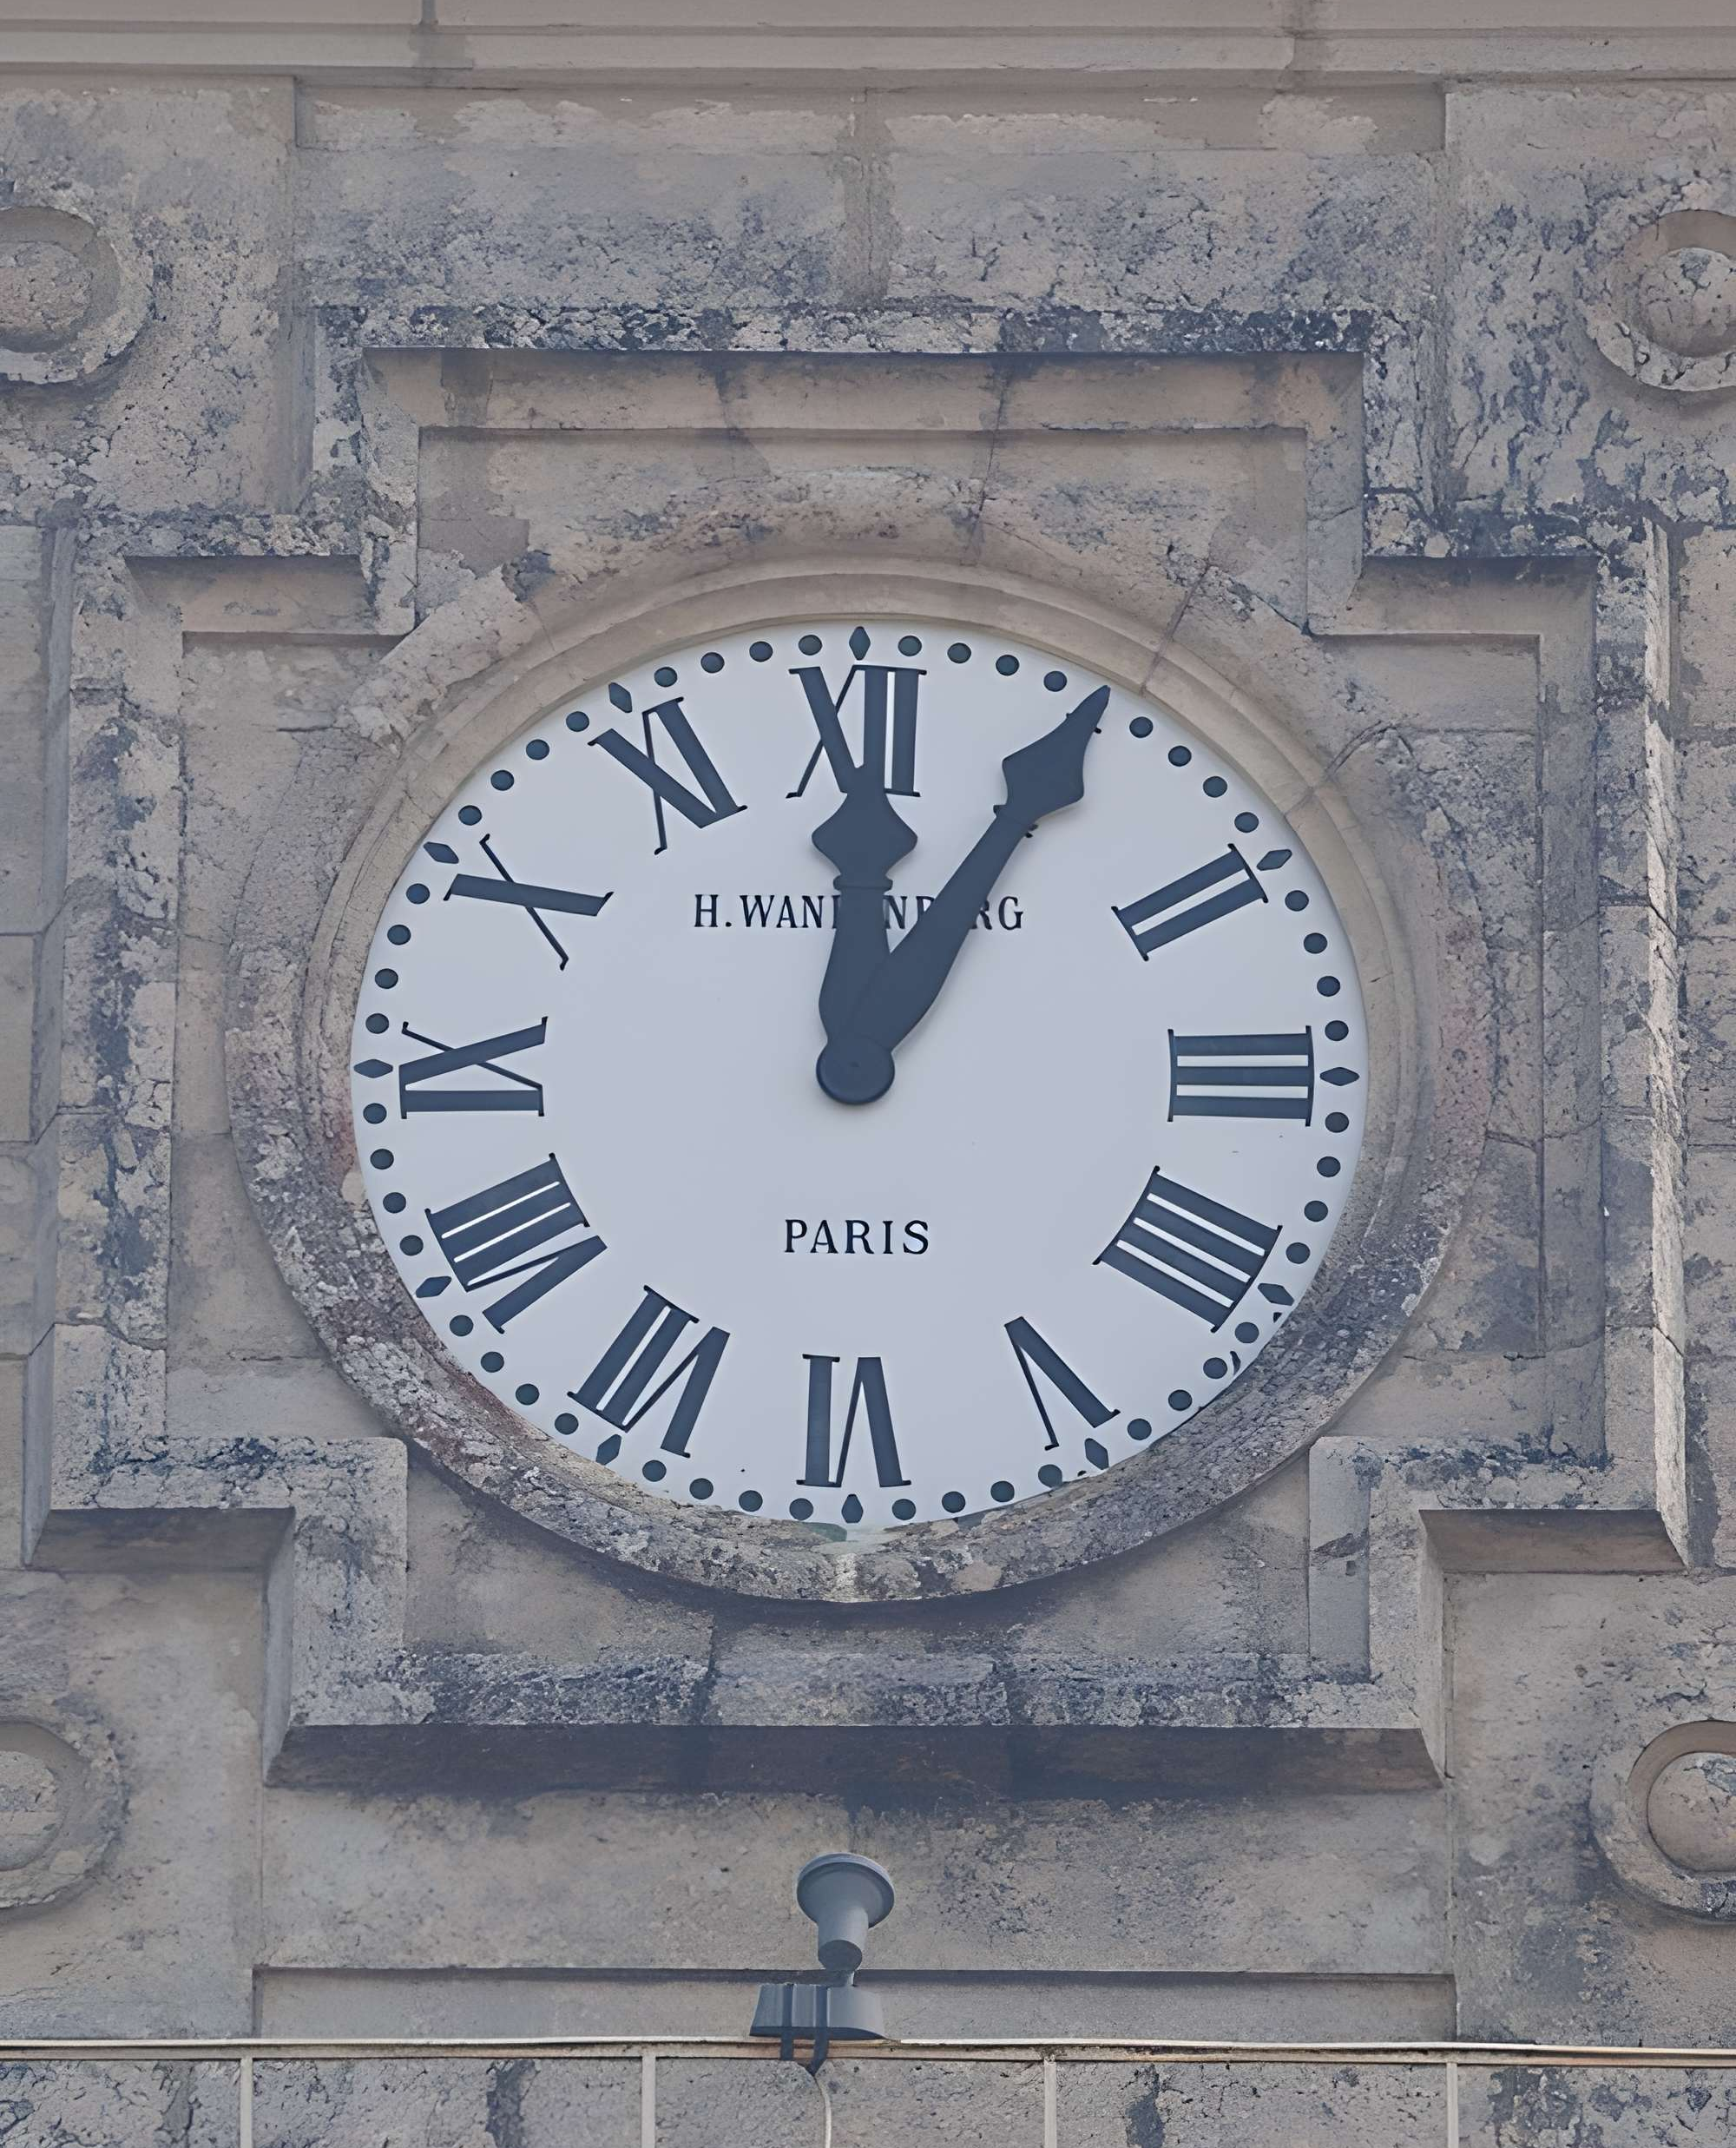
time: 12:05
